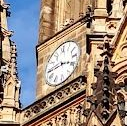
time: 3:44
